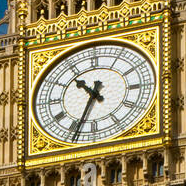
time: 10:34
